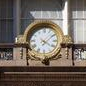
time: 4:07
